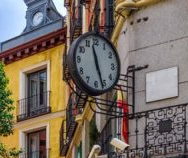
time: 11:26
